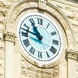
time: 10:47
